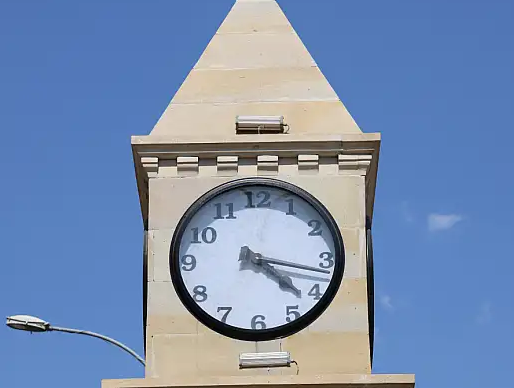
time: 4:16
